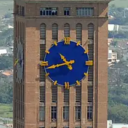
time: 10:42
